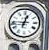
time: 12:46
